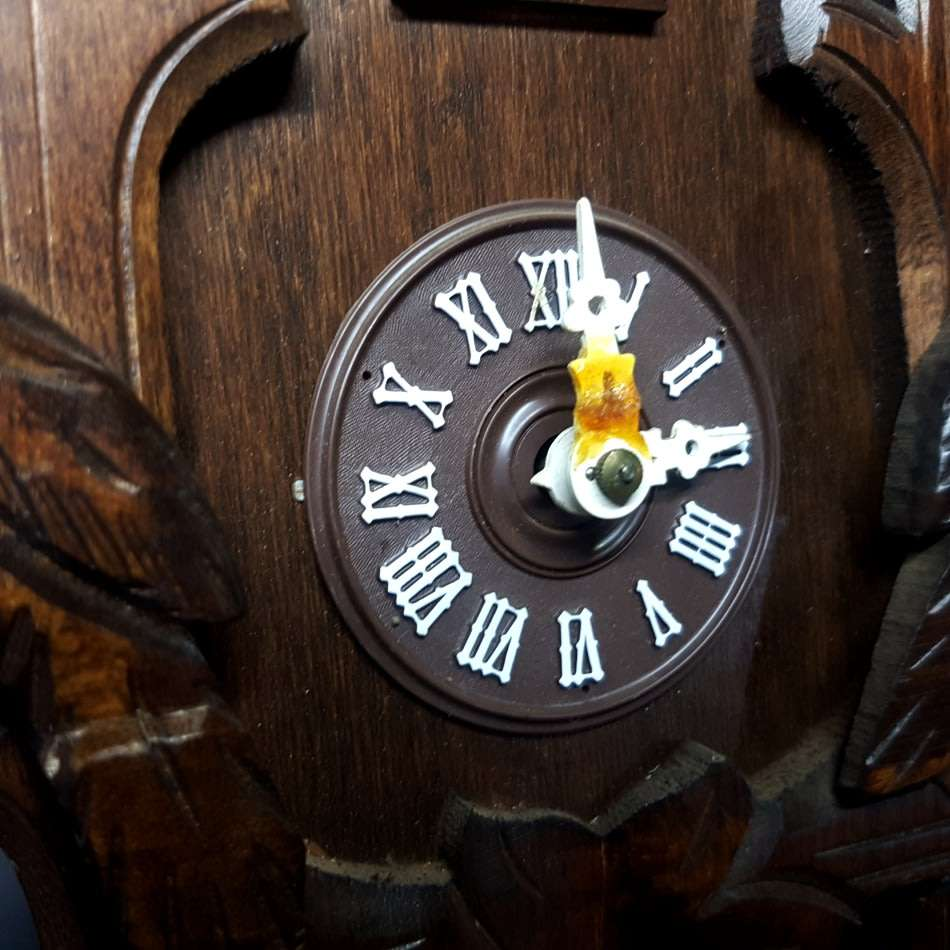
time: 12:14
